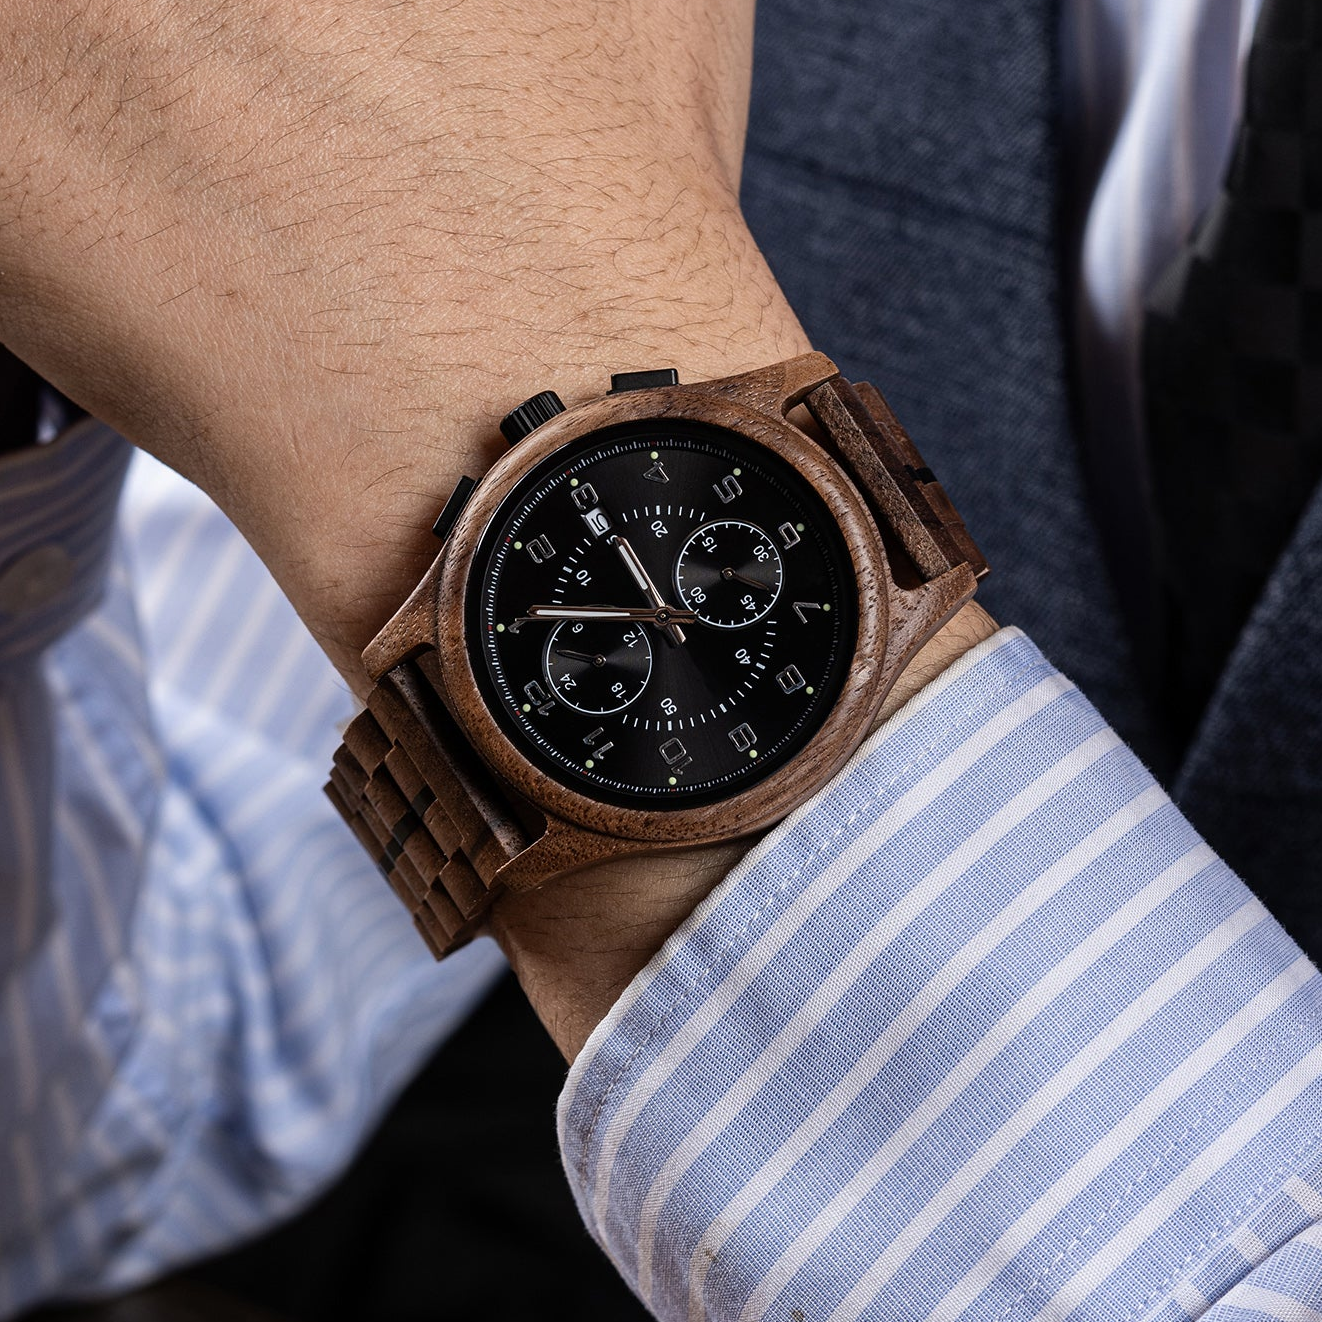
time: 10:45
